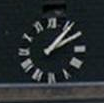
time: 1:09
